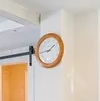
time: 1:43
